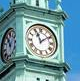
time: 11:09
